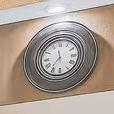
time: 11:37
